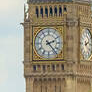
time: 2:23
